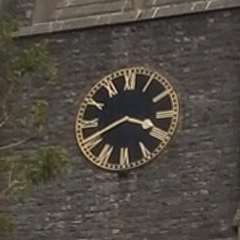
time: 3:40
